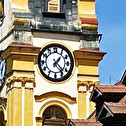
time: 1:22
